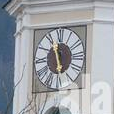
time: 5:57
